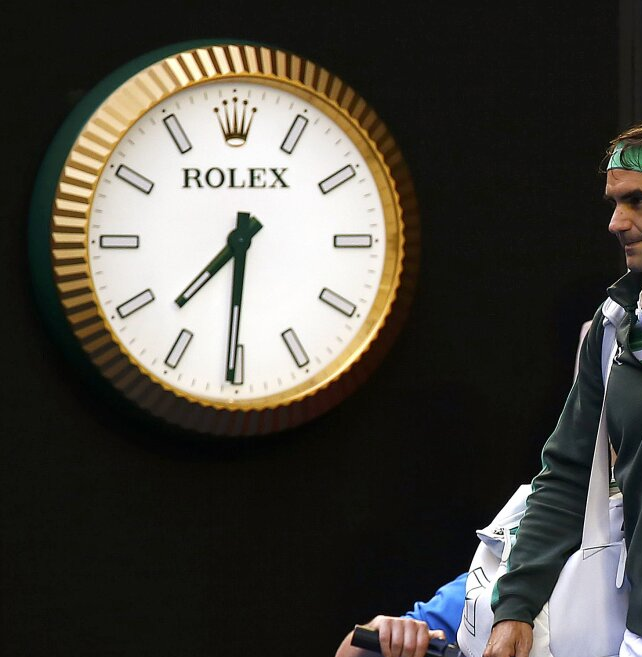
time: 7:30
